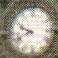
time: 9:41
